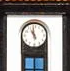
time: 10:58
